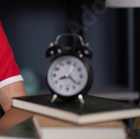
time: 8:21
